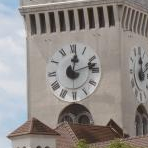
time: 12:12
